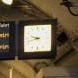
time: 9:42
